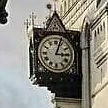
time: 3:04
